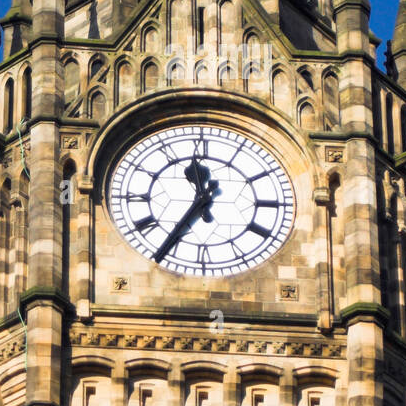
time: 11:35
